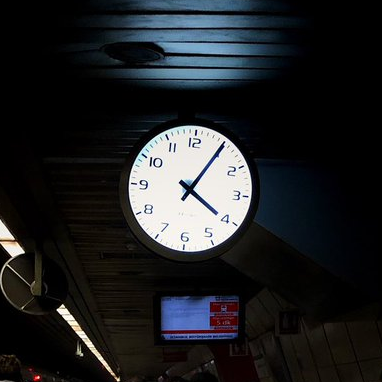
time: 4:05
